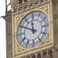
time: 11:49
